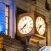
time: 7:38
